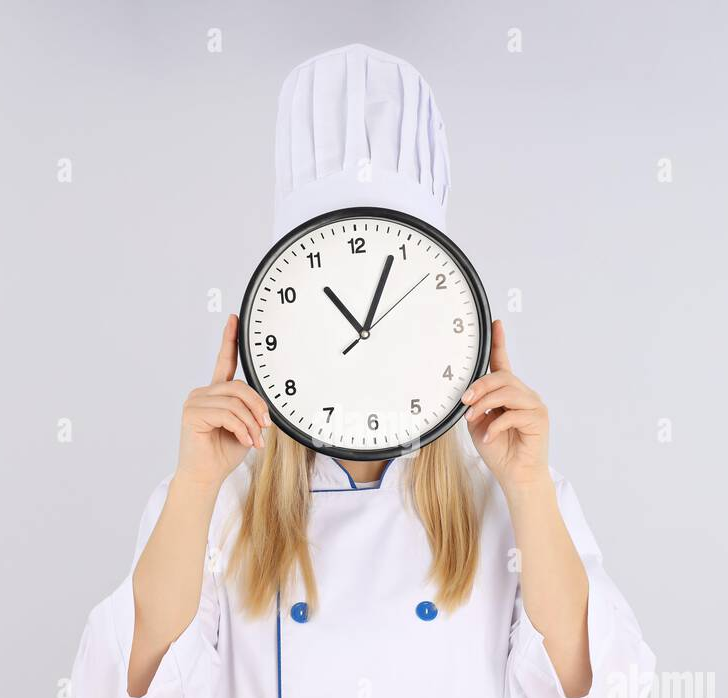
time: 11:04
